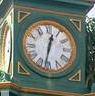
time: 12:32
